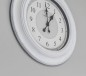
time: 12:59
